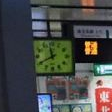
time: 11:40
